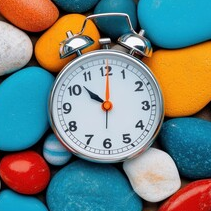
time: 10:00
